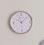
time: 10:07
